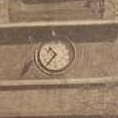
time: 10:36
